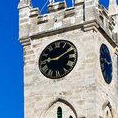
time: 9:10
